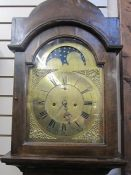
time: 10:28
